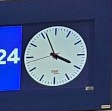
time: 3:56
